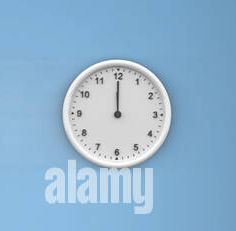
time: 12:00
